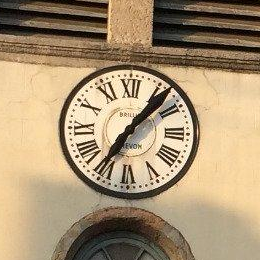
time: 7:07
